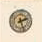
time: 2:26
